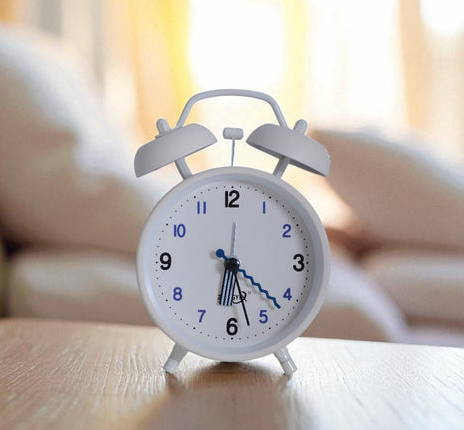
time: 6:27
